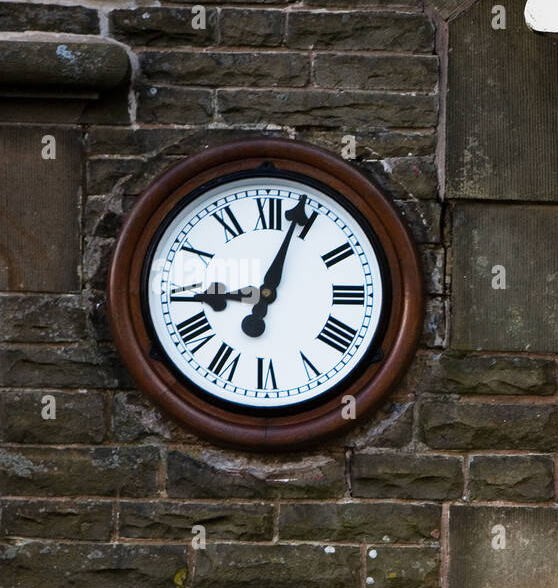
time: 9:03
